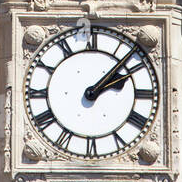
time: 2:07
